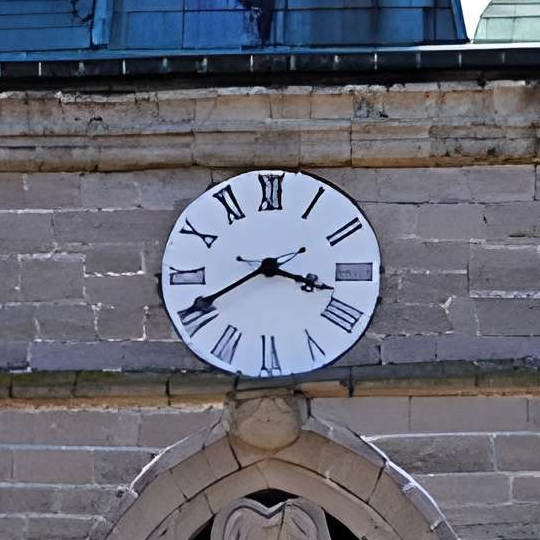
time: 3:40
